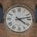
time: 4:12
